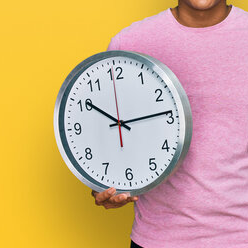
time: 10:13
